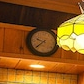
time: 9:38
